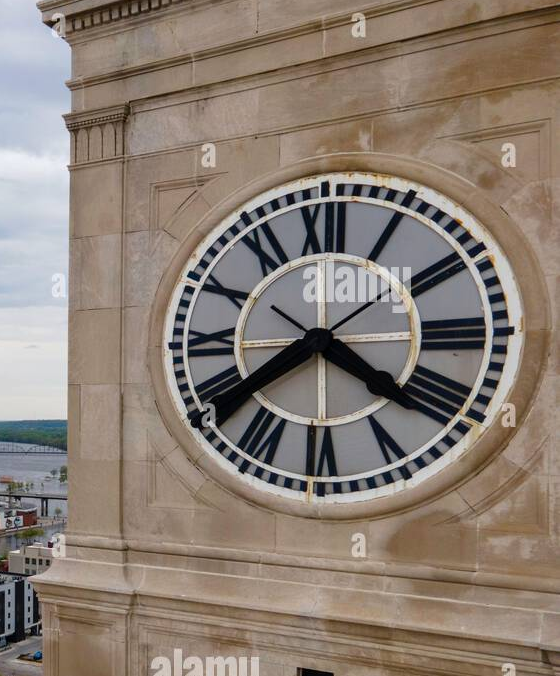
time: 4:20
